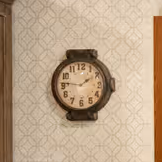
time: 1:46
